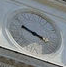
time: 3:48
